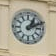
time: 1:11
